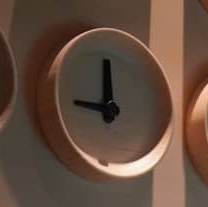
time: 11:46
